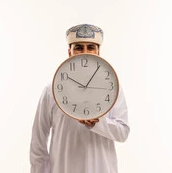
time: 10:05
